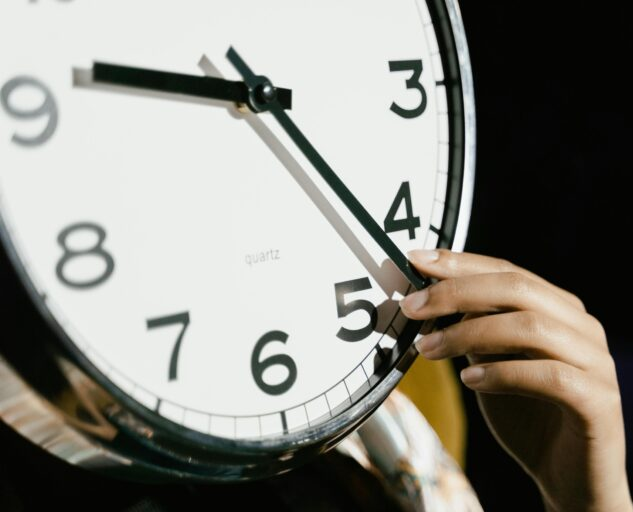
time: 9:22
